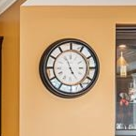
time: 4:56
